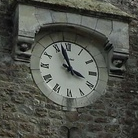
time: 3:57
